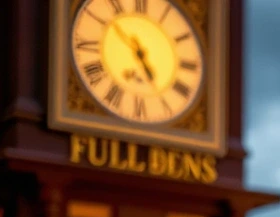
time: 4:52
